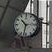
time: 10:32
